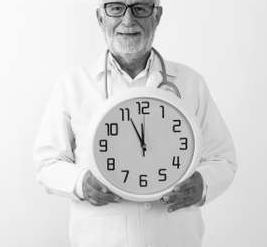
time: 11:55
